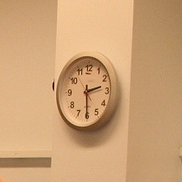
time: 2:29
